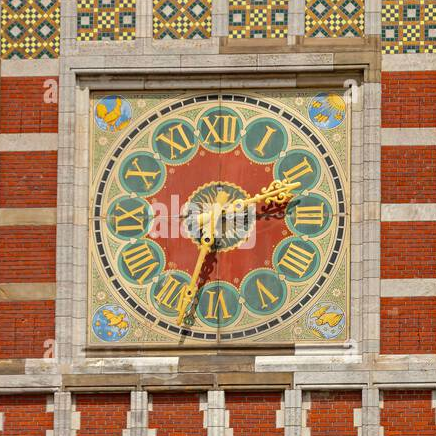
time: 2:32
